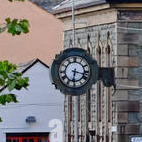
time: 6:17
